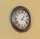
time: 1:18
